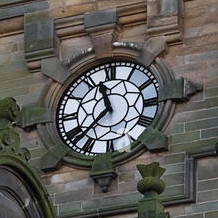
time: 11:37
